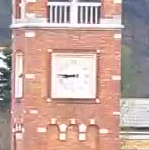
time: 8:45
